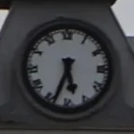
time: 5:33
